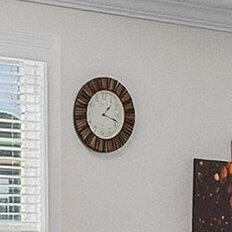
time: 1:18
